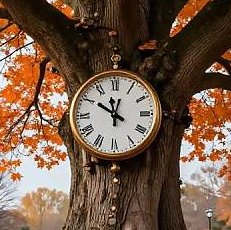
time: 11:50
